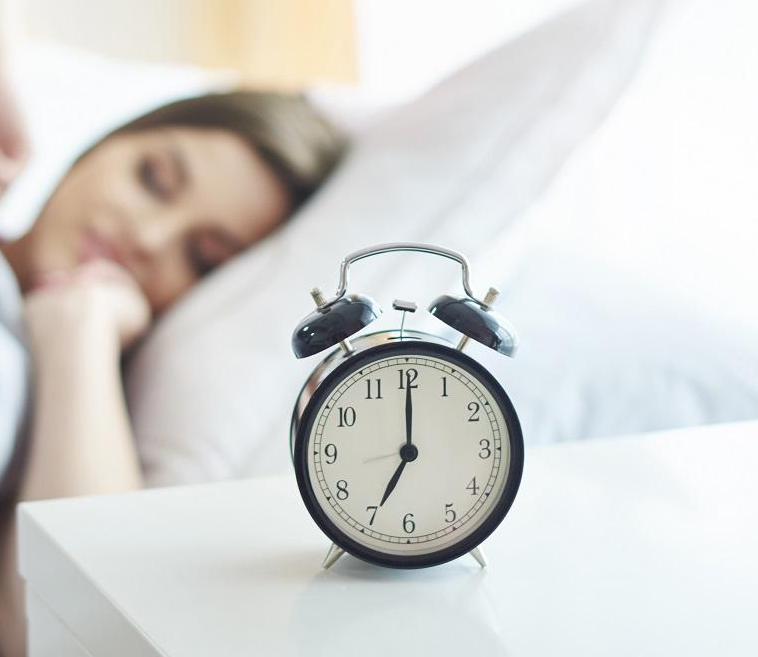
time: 7:00
